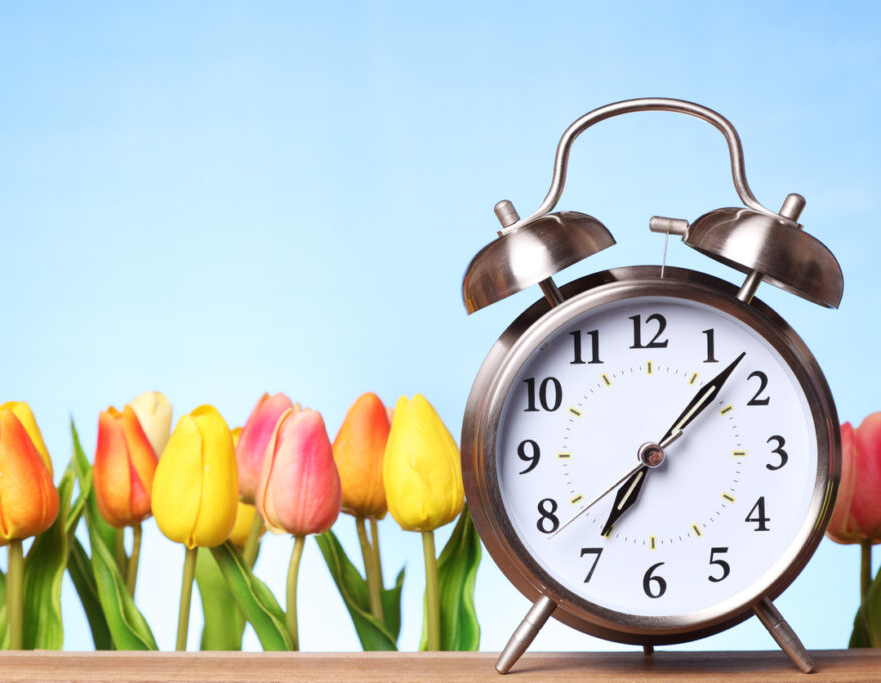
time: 7:07
